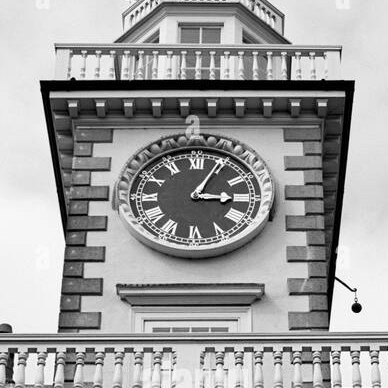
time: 3:04
